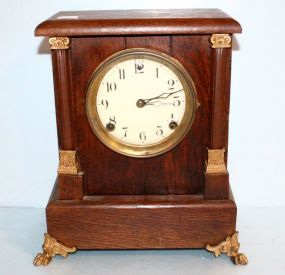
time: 2:12
